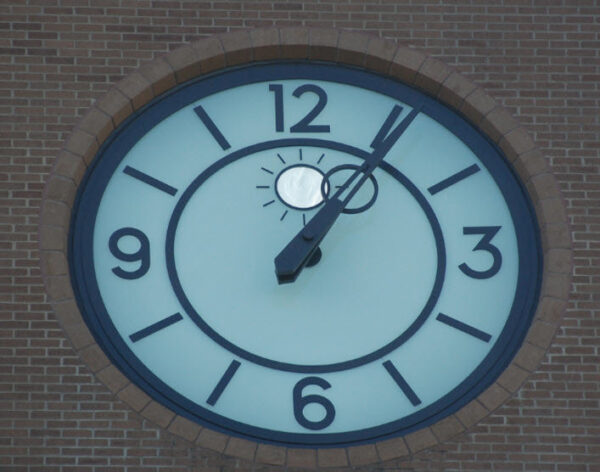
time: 1:06
